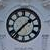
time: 1:37
